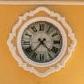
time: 4:36
